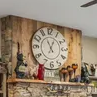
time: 12:55
